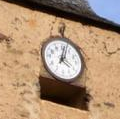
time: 4:02
